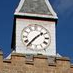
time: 1:36
